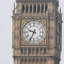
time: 9:34
